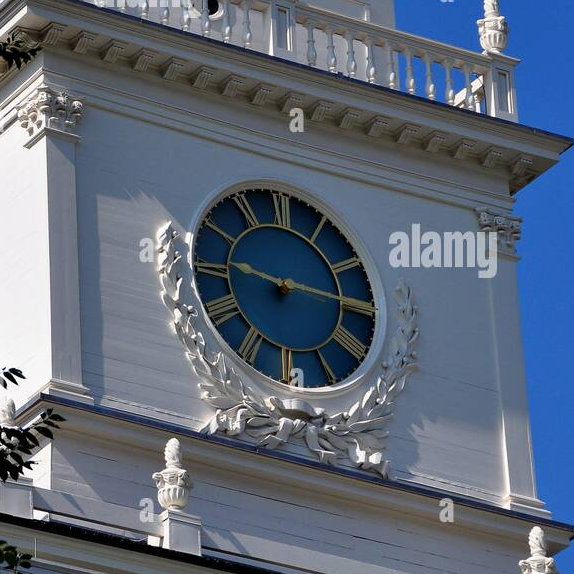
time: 9:14
